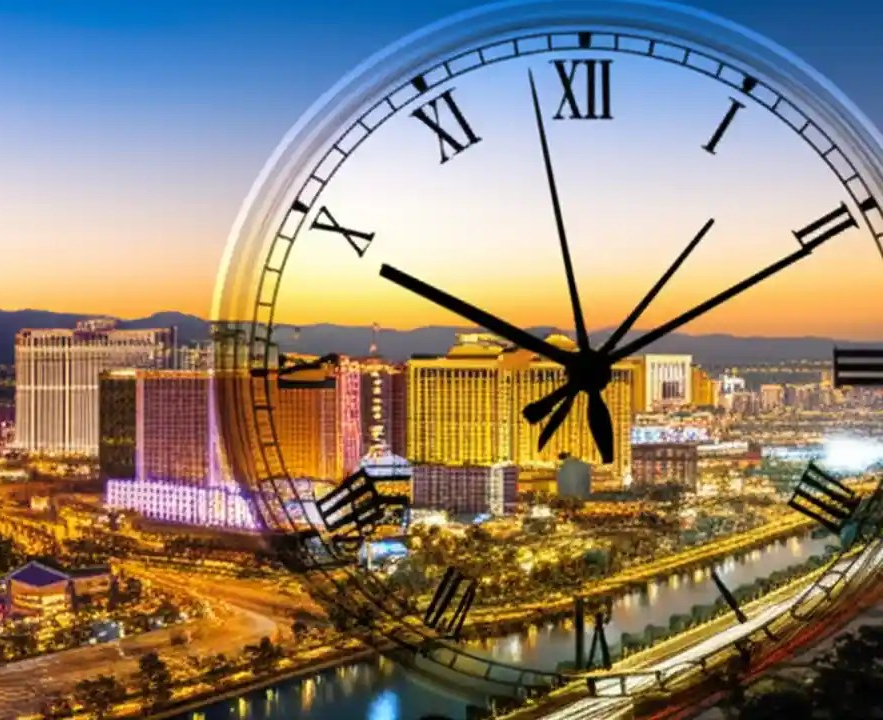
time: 1:49
